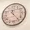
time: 11:23
